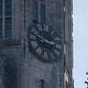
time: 2:48
